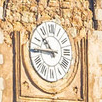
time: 10:45
